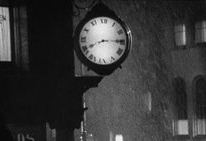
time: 8:14
